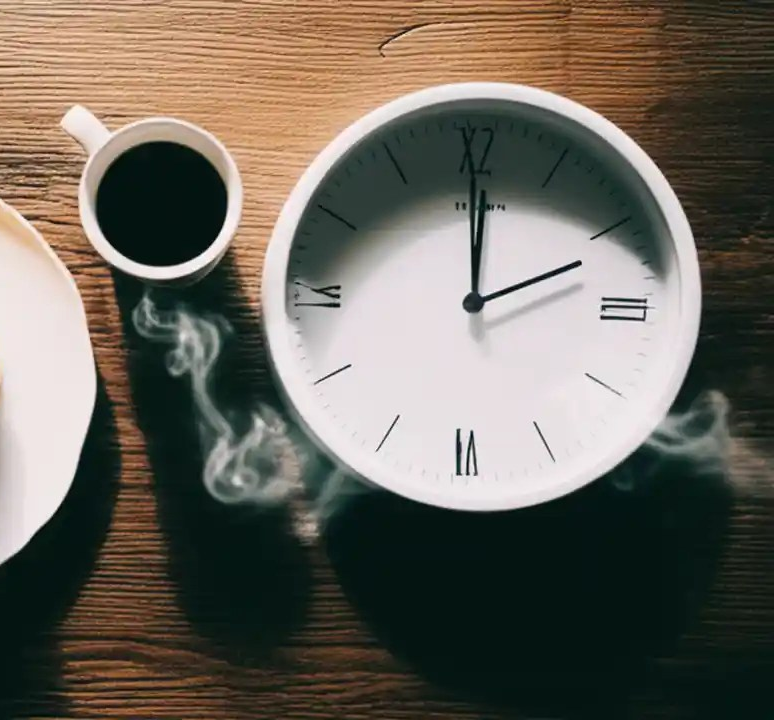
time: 2:00
